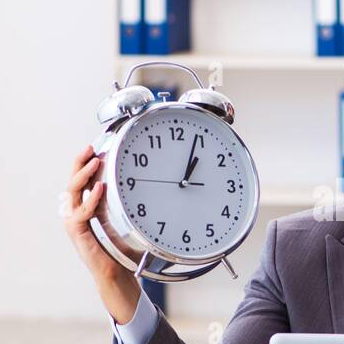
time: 1:03
